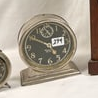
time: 2:49
